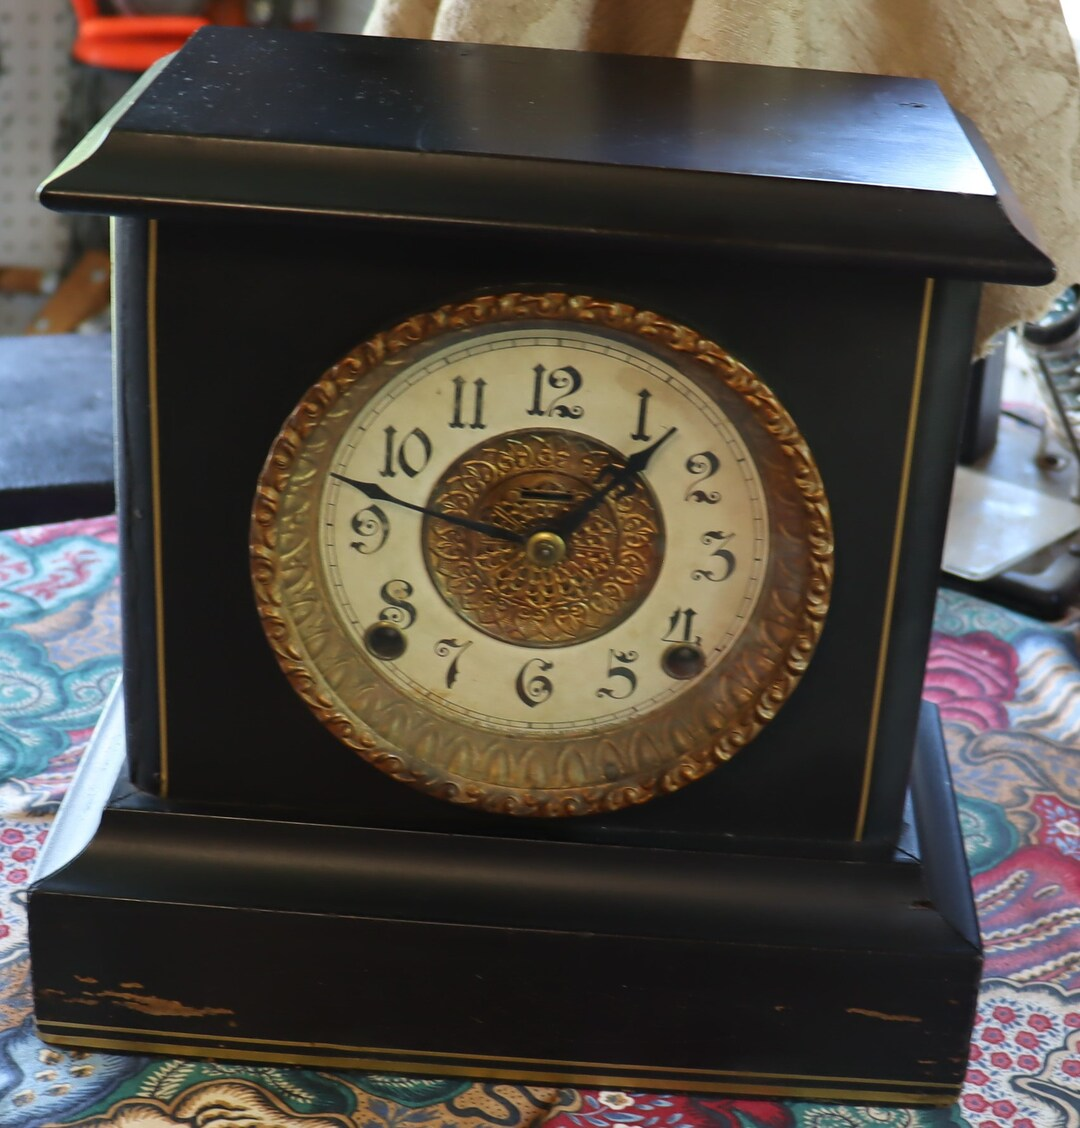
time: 1:47
